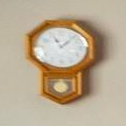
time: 11:07
